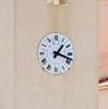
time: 1:18
